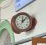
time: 12:07
